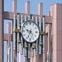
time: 9:34
